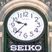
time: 9:37
